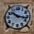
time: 10:17
